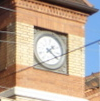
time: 1:20
